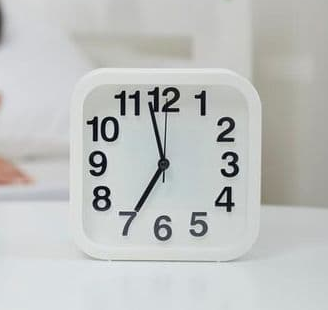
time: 6:57
